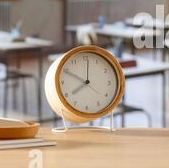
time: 7:49
